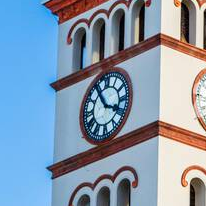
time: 3:54
